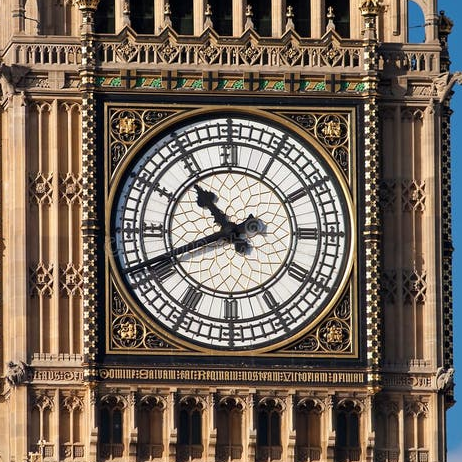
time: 10:41
